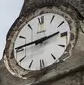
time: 2:45
